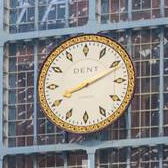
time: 8:11
